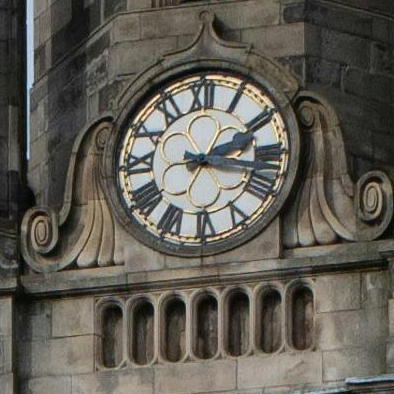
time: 2:17
